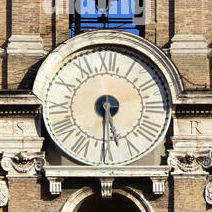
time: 5:30
